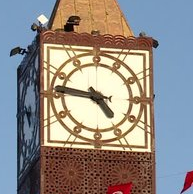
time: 4:46
